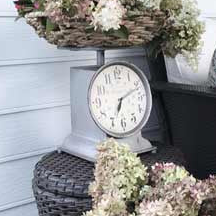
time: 7:11
